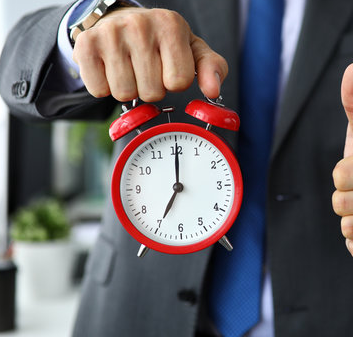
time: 7:00
